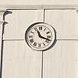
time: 11:18
